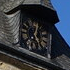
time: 12:24
